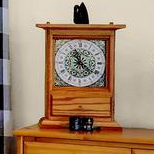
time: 11:21
